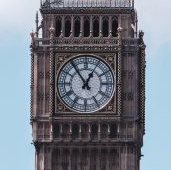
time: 12:54
